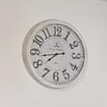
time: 7:43
